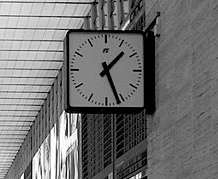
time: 1:26
